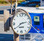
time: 2:39
